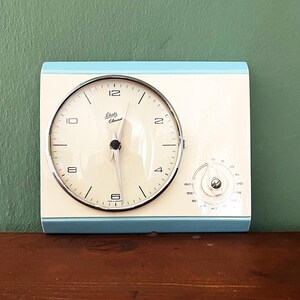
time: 12:29
